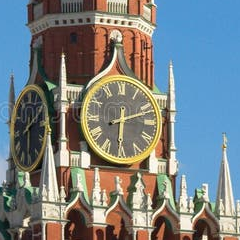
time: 6:12
